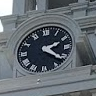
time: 2:21
